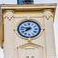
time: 7:47
